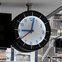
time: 9:01
